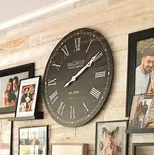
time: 8:09
